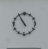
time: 10:54
